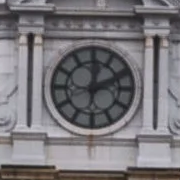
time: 12:11
